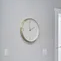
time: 1:59
